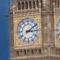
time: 3:09
